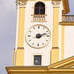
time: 2:11
